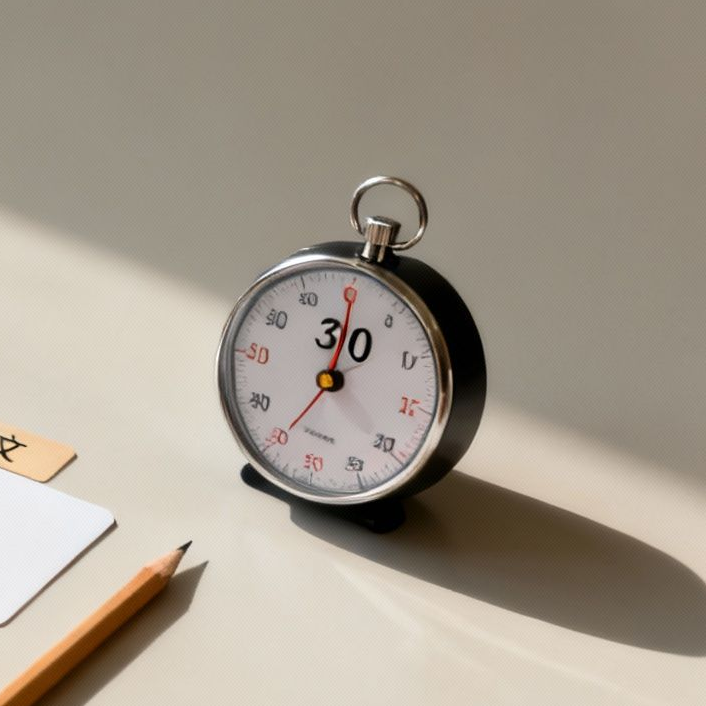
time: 12:21
